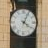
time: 4:04
